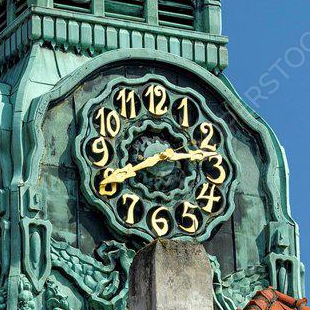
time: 2:40
